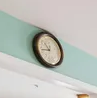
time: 10:42
